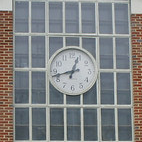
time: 12:42
